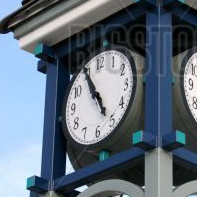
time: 10:55
